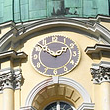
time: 1:52
